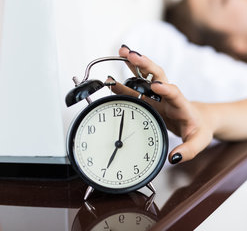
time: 7:02
